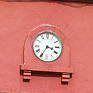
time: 3:35
